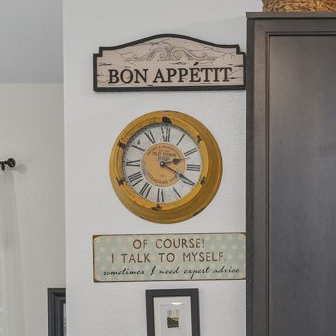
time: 2:19
